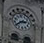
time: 2:40
